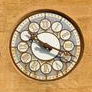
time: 10:18
